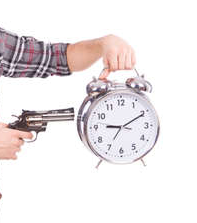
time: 9:10
